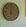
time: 5:59
